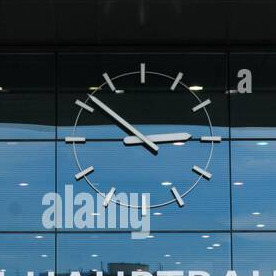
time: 2:51
